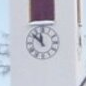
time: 11:52
